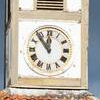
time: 11:53
